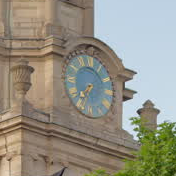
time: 7:33
